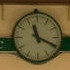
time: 11:19
